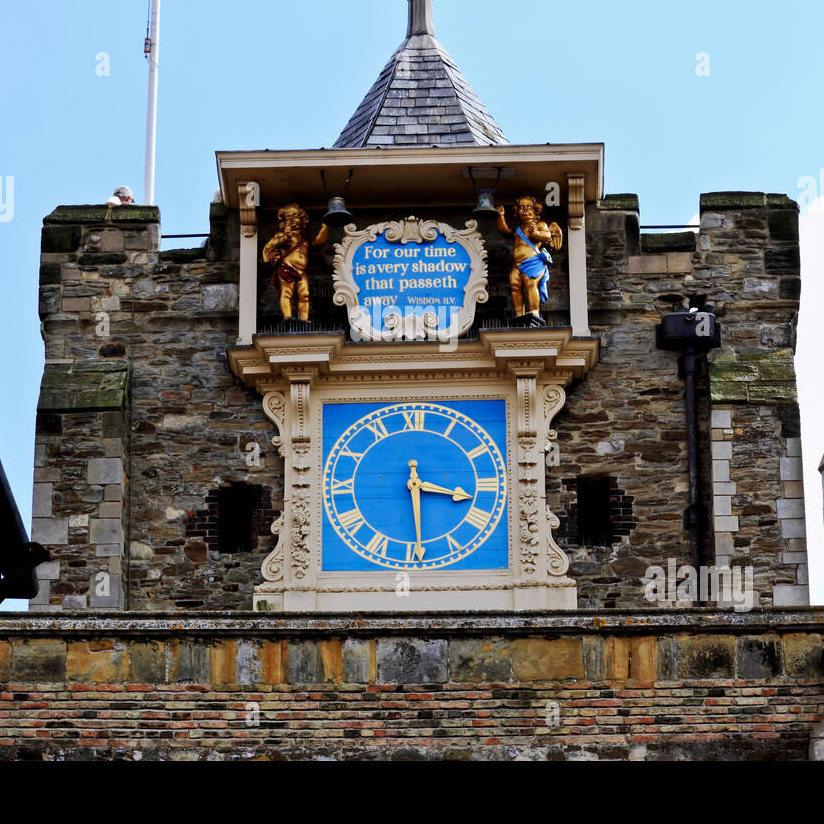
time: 3:29
